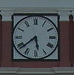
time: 5:38
